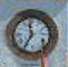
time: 11:35
